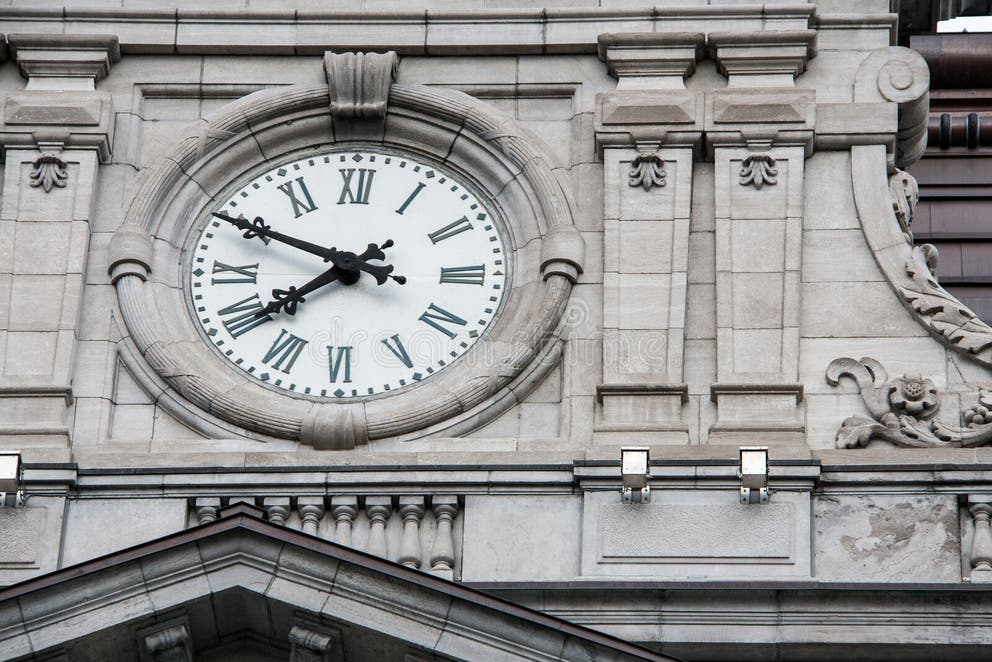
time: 7:49
